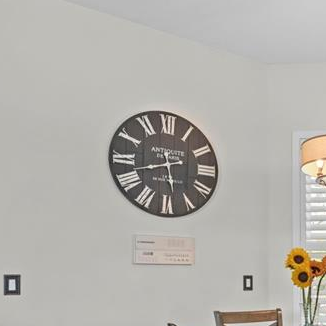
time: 5:42
